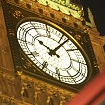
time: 10:06
